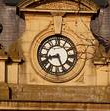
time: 8:25
